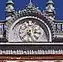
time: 7:25
